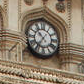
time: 10:36
